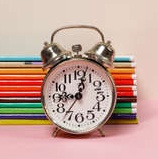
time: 9:02
